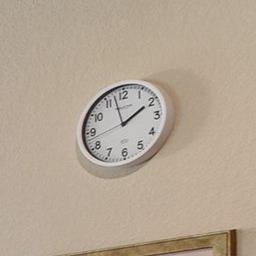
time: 1:57
